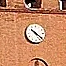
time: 10:21
